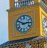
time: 2:50
